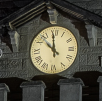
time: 11:52
